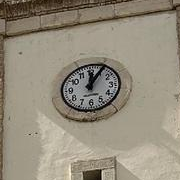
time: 12:05
